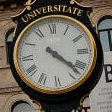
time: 4:22
